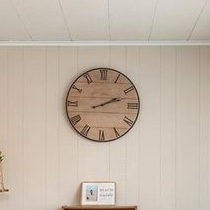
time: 2:12
